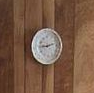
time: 9:12
